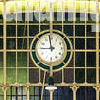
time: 11:45
